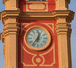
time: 12:36
